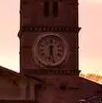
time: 6:27
